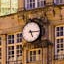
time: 5:15
